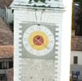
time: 7:21
